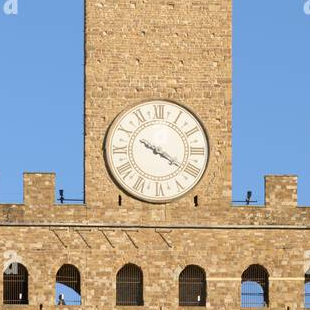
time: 4:20
